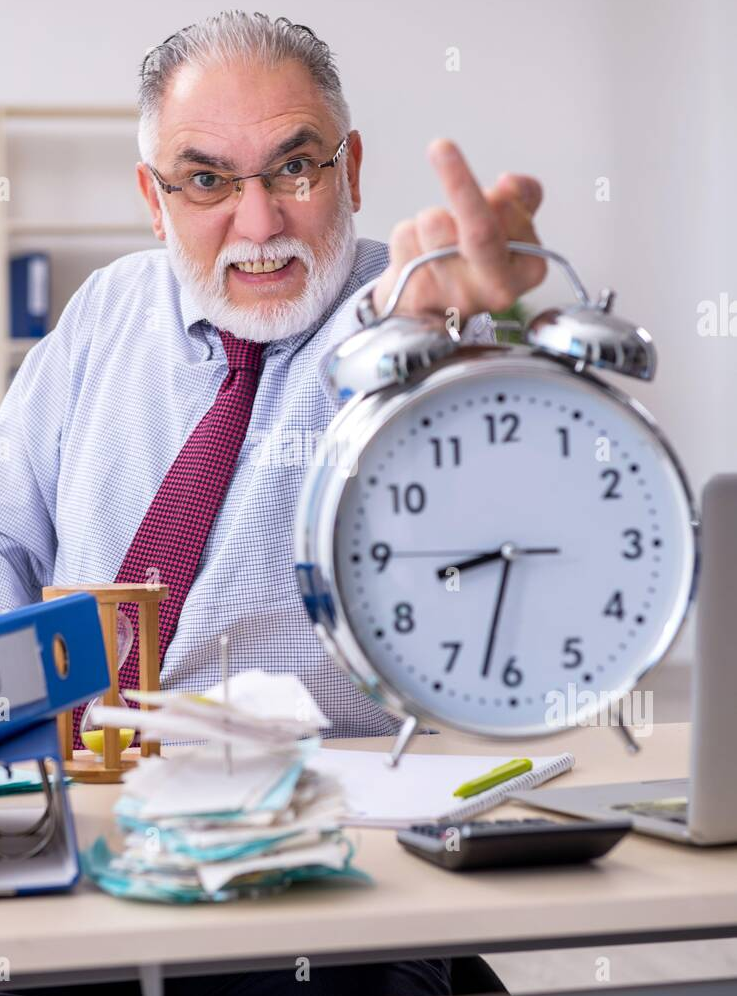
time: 8:32
